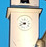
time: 9:41
